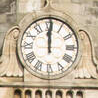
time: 12:00
